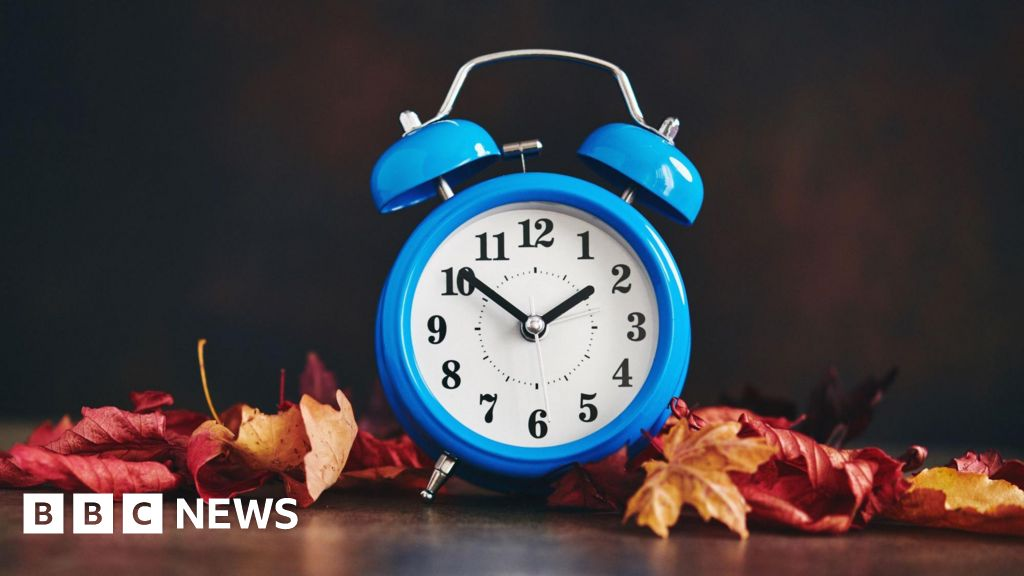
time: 1:51
